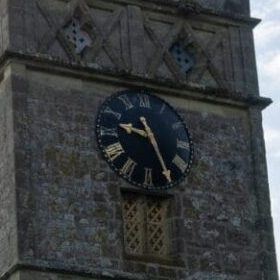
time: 9:25
